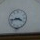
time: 3:43
